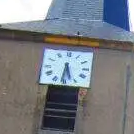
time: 5:31
